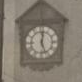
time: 12:26
